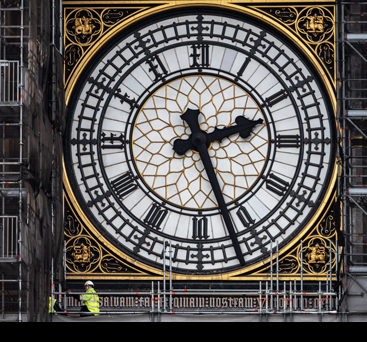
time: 2:26
